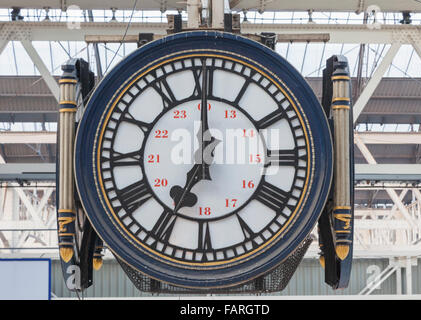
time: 6:59
